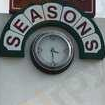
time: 3:29
